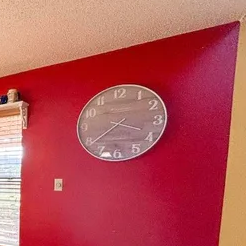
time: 3:39
